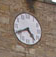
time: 4:40
